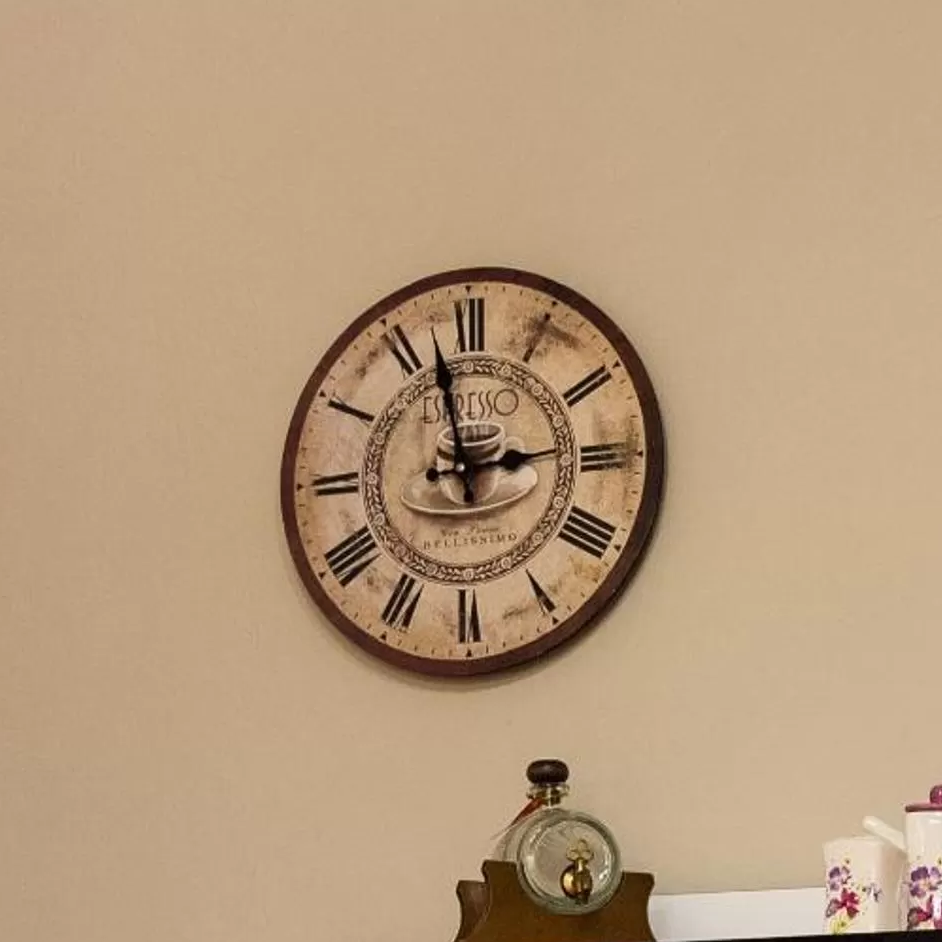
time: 2:57
